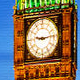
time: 9:13
